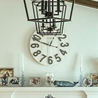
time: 12:48
